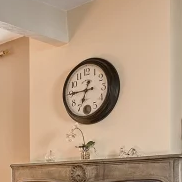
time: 6:45
